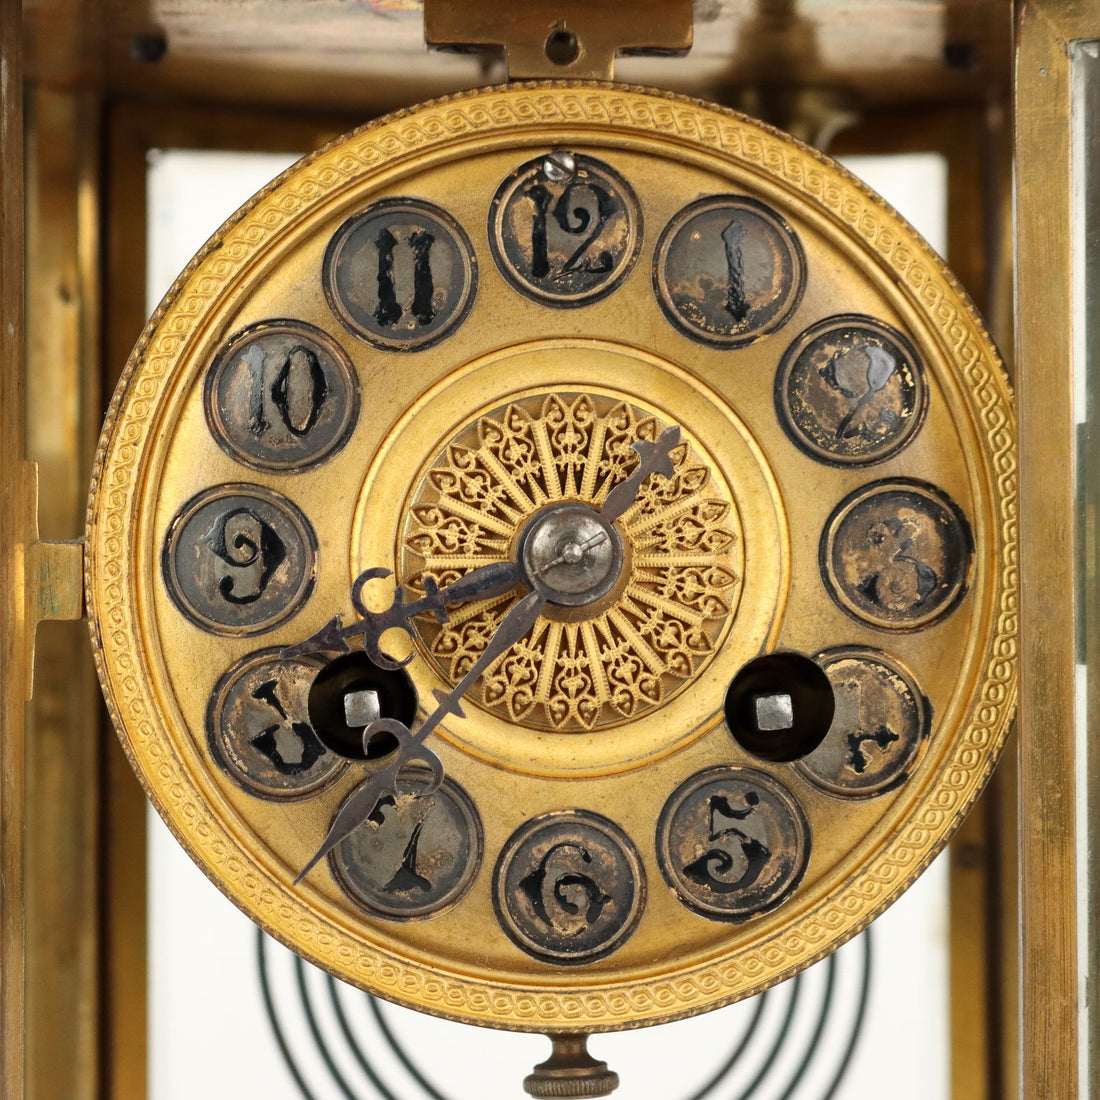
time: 1:42
